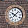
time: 10:07
